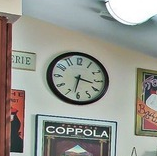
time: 3:31
